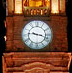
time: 9:17
